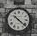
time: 10:21
